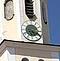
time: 5:18
